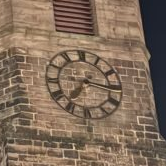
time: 7:16
